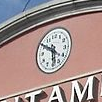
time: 5:50
